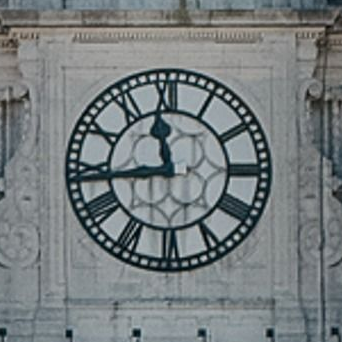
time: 11:43
